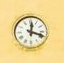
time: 12:18
